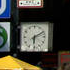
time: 6:10
